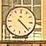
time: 4:22
